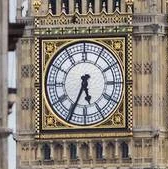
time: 5:34
